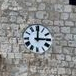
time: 3:00
